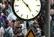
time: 4:52
